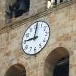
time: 9:01
